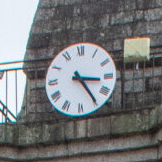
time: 3:24
